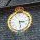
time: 3:28
